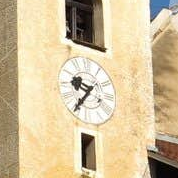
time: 9:36
